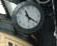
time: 11:21
